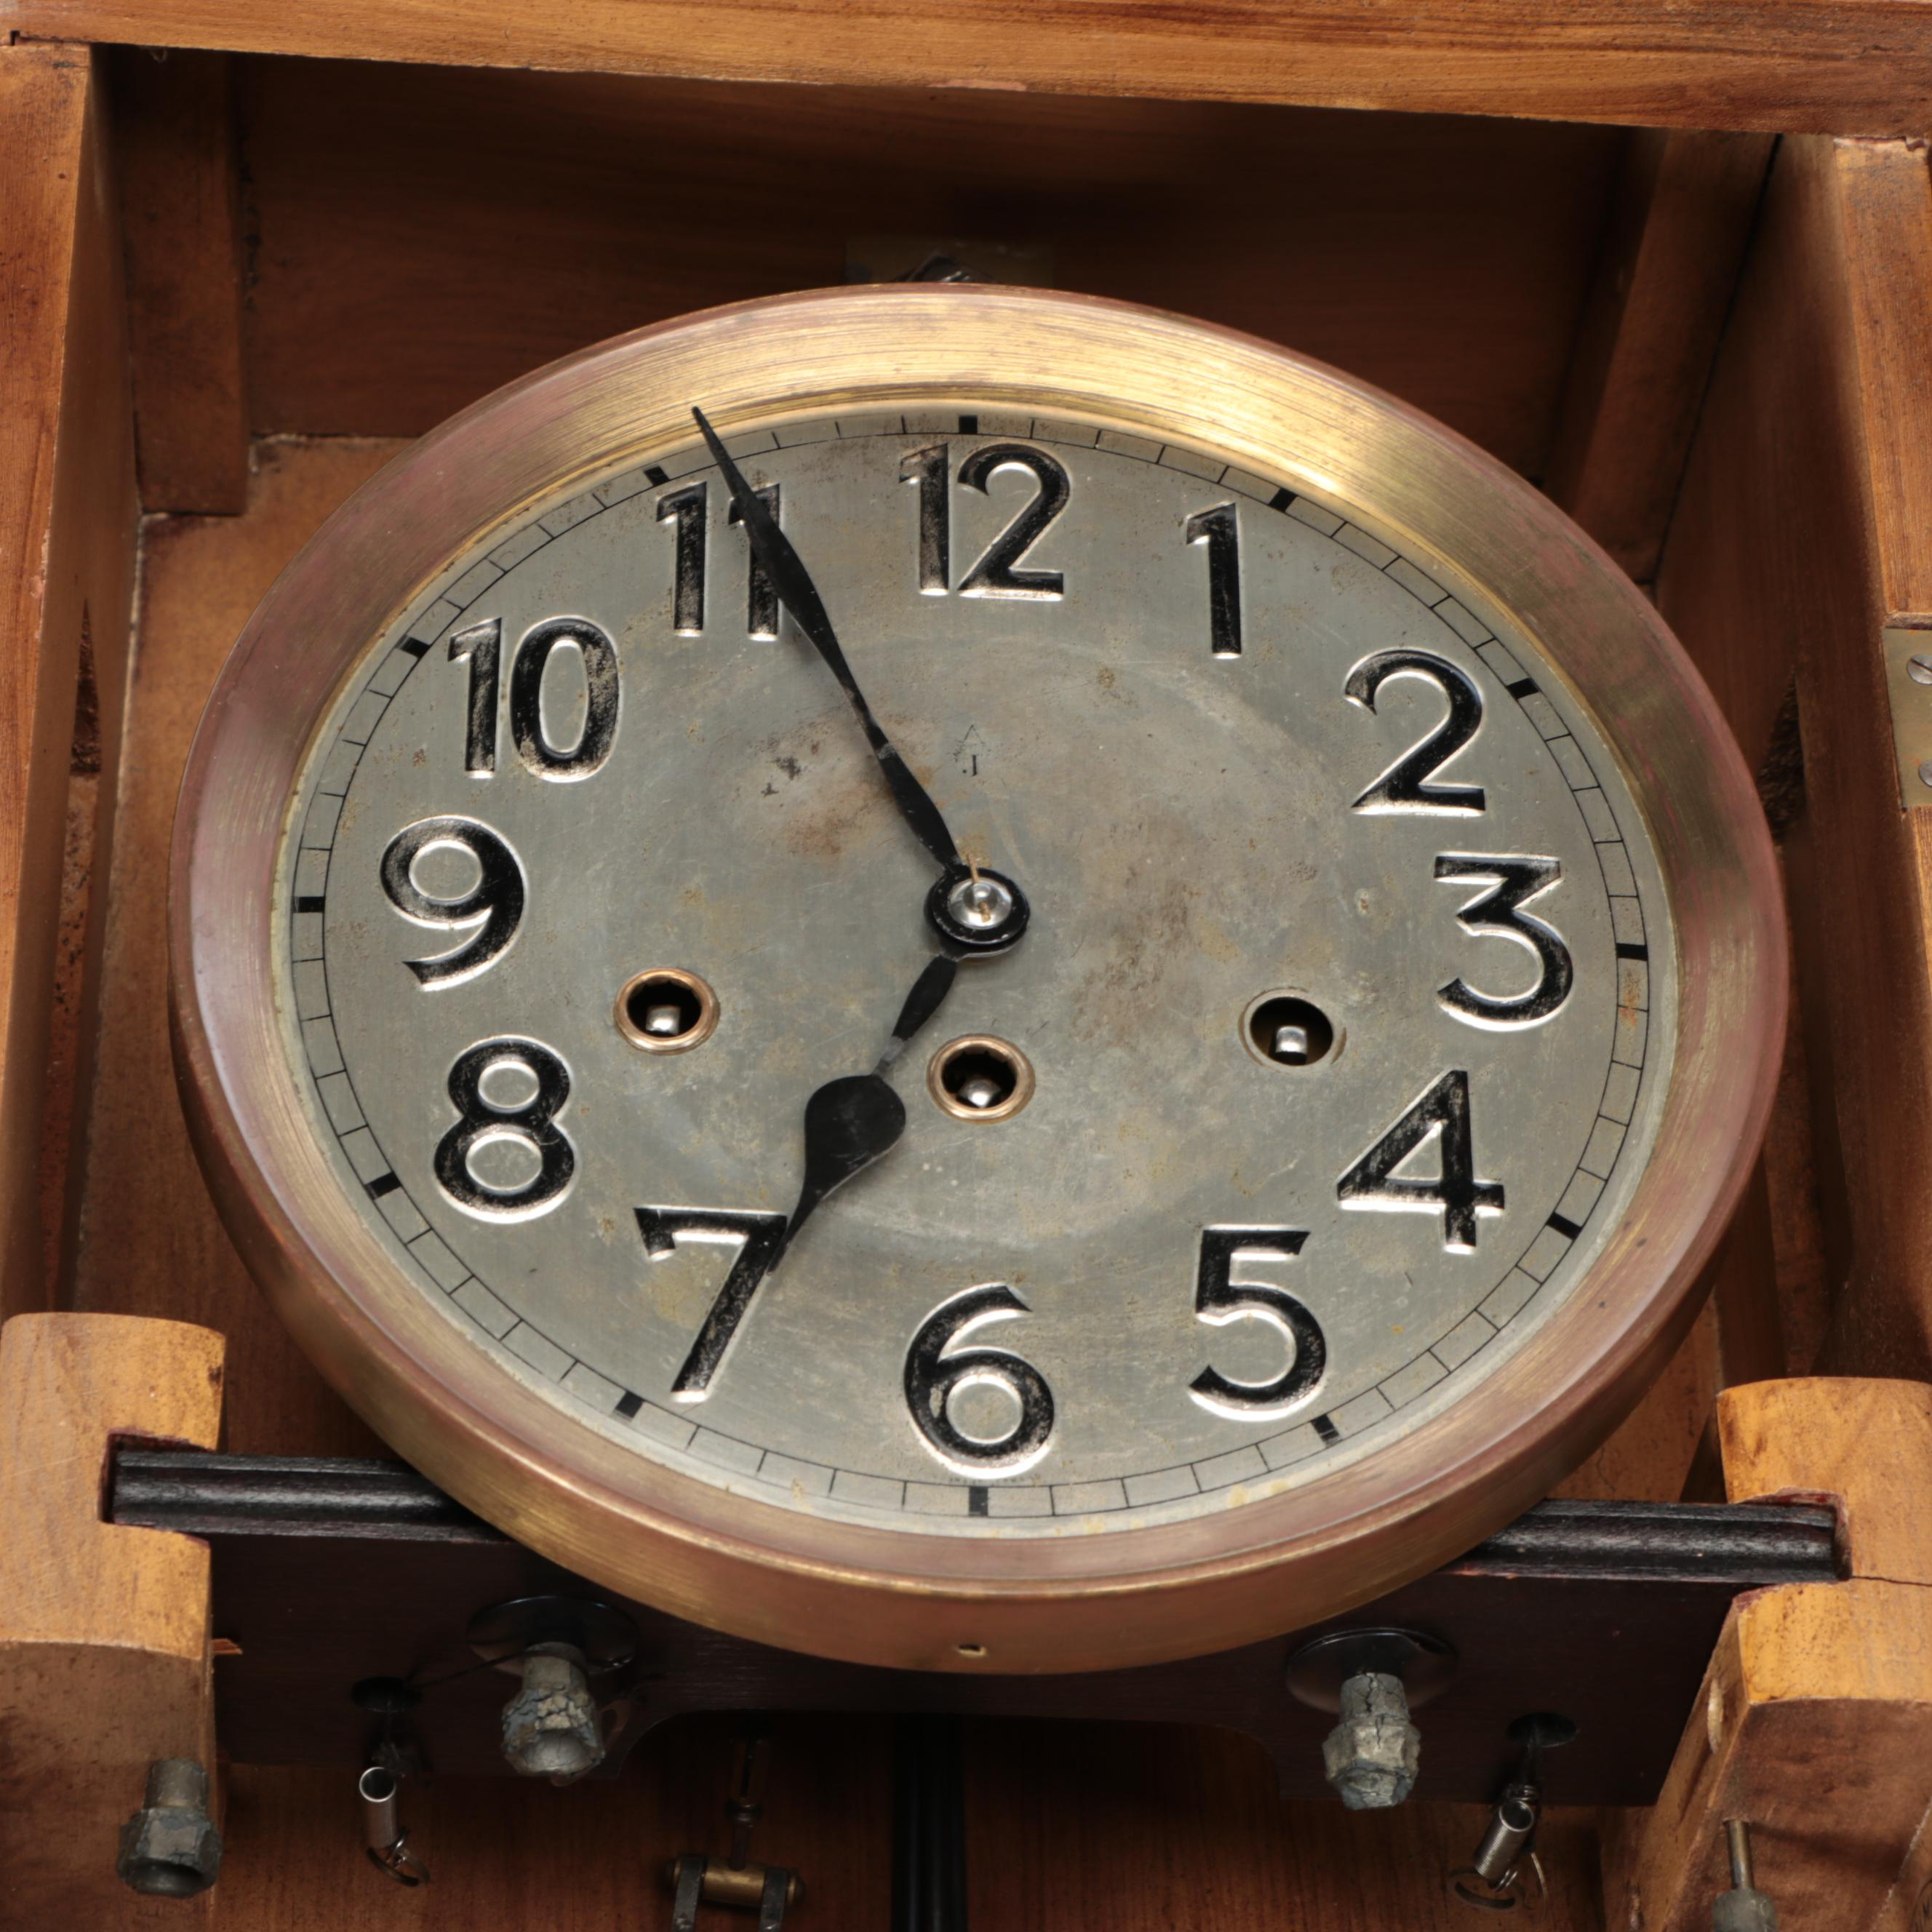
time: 6:55
